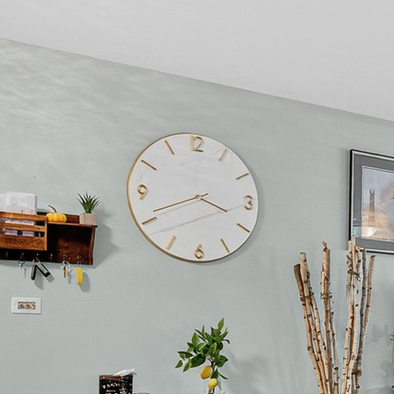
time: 3:41
